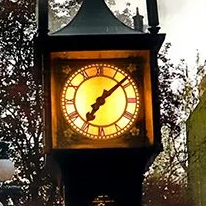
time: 7:08
